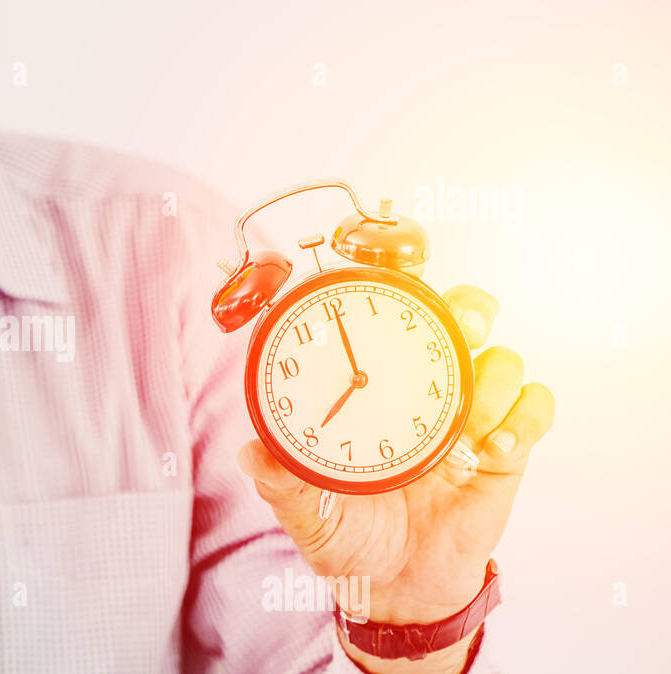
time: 8:00
